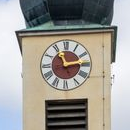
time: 11:13
